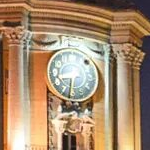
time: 8:32
